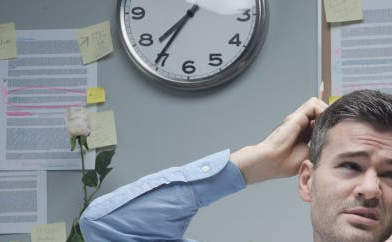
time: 7:35
